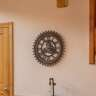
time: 3:40
